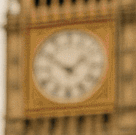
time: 1:50
